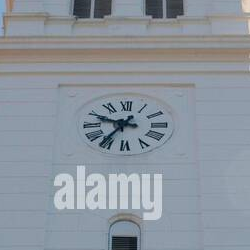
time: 9:36
